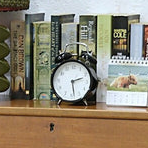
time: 2:28
